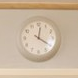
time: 12:20
